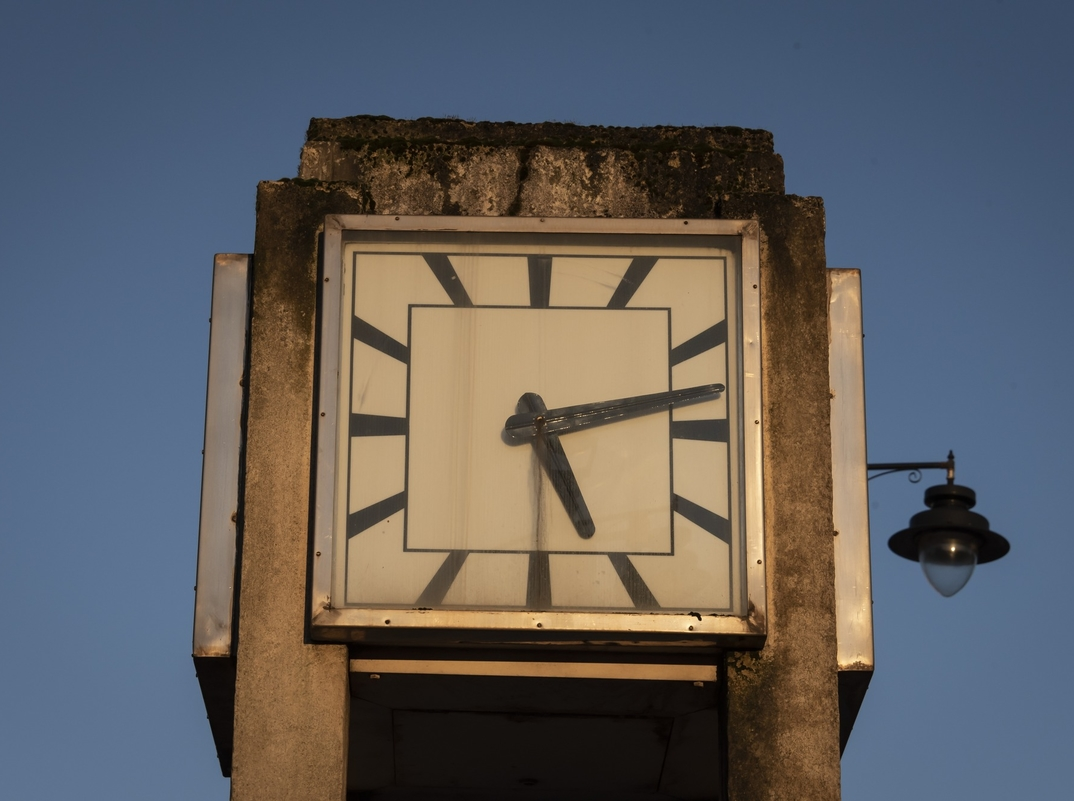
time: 5:12
